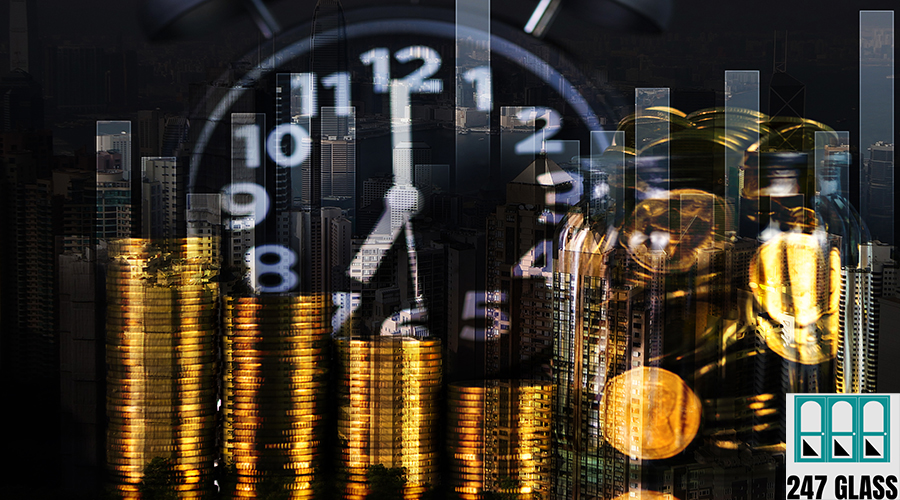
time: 7:00
